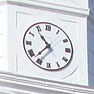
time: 10:37
